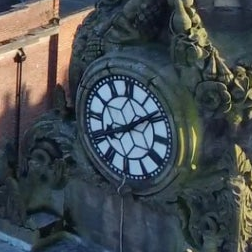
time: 8:09
